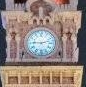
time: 9:12
